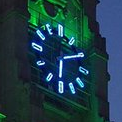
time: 6:10
